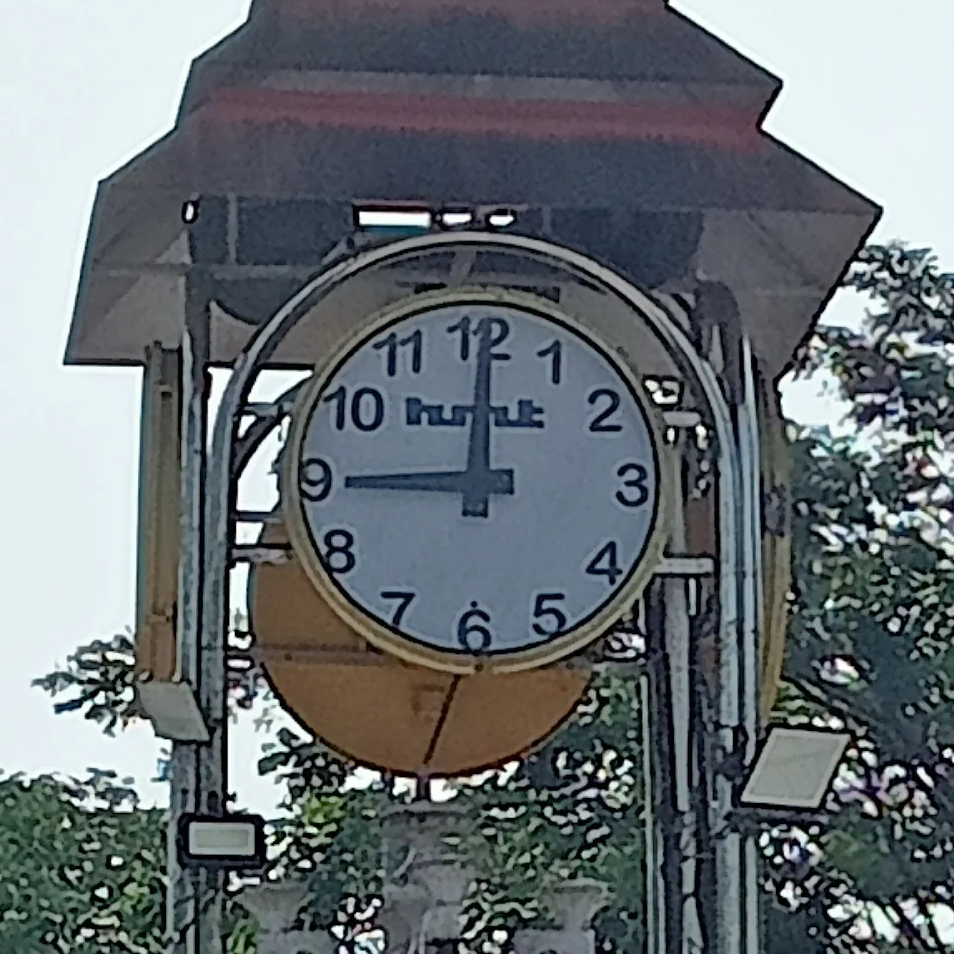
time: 9:00
